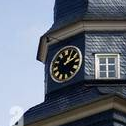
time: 1:12
